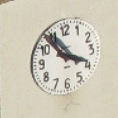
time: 3:53
